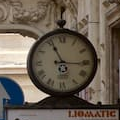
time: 11:15
